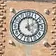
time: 5:11
